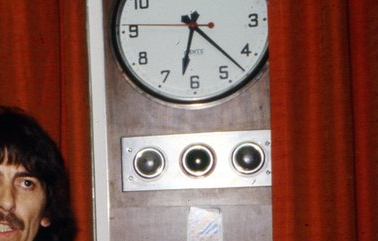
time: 6:22
